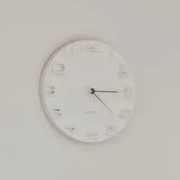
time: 4:14
